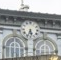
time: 5:33
